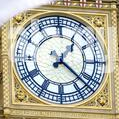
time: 1:21
